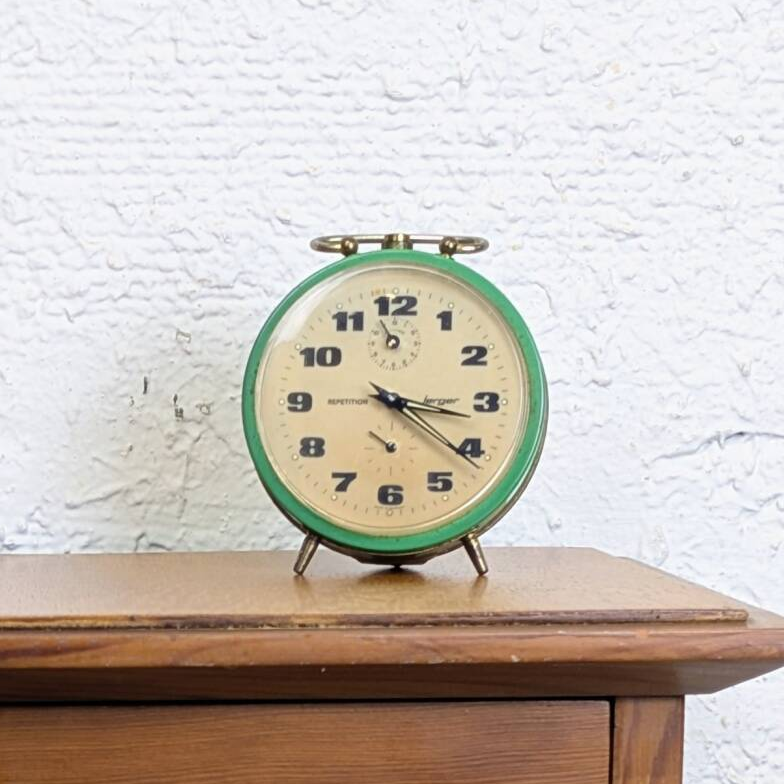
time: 3:21
